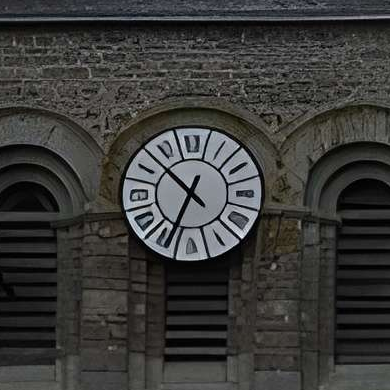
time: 10:34
